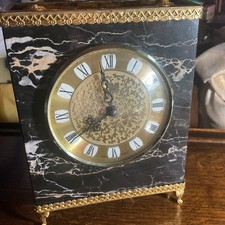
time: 7:58
